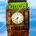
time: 7:31
